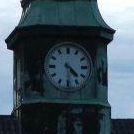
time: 4:29
